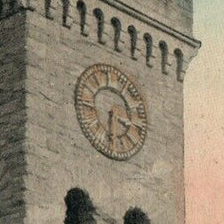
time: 3:32
